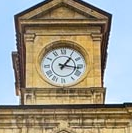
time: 1:16
